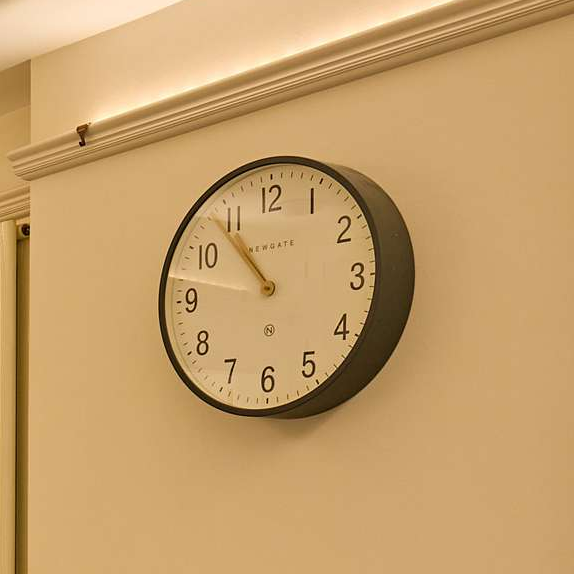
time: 10:53
